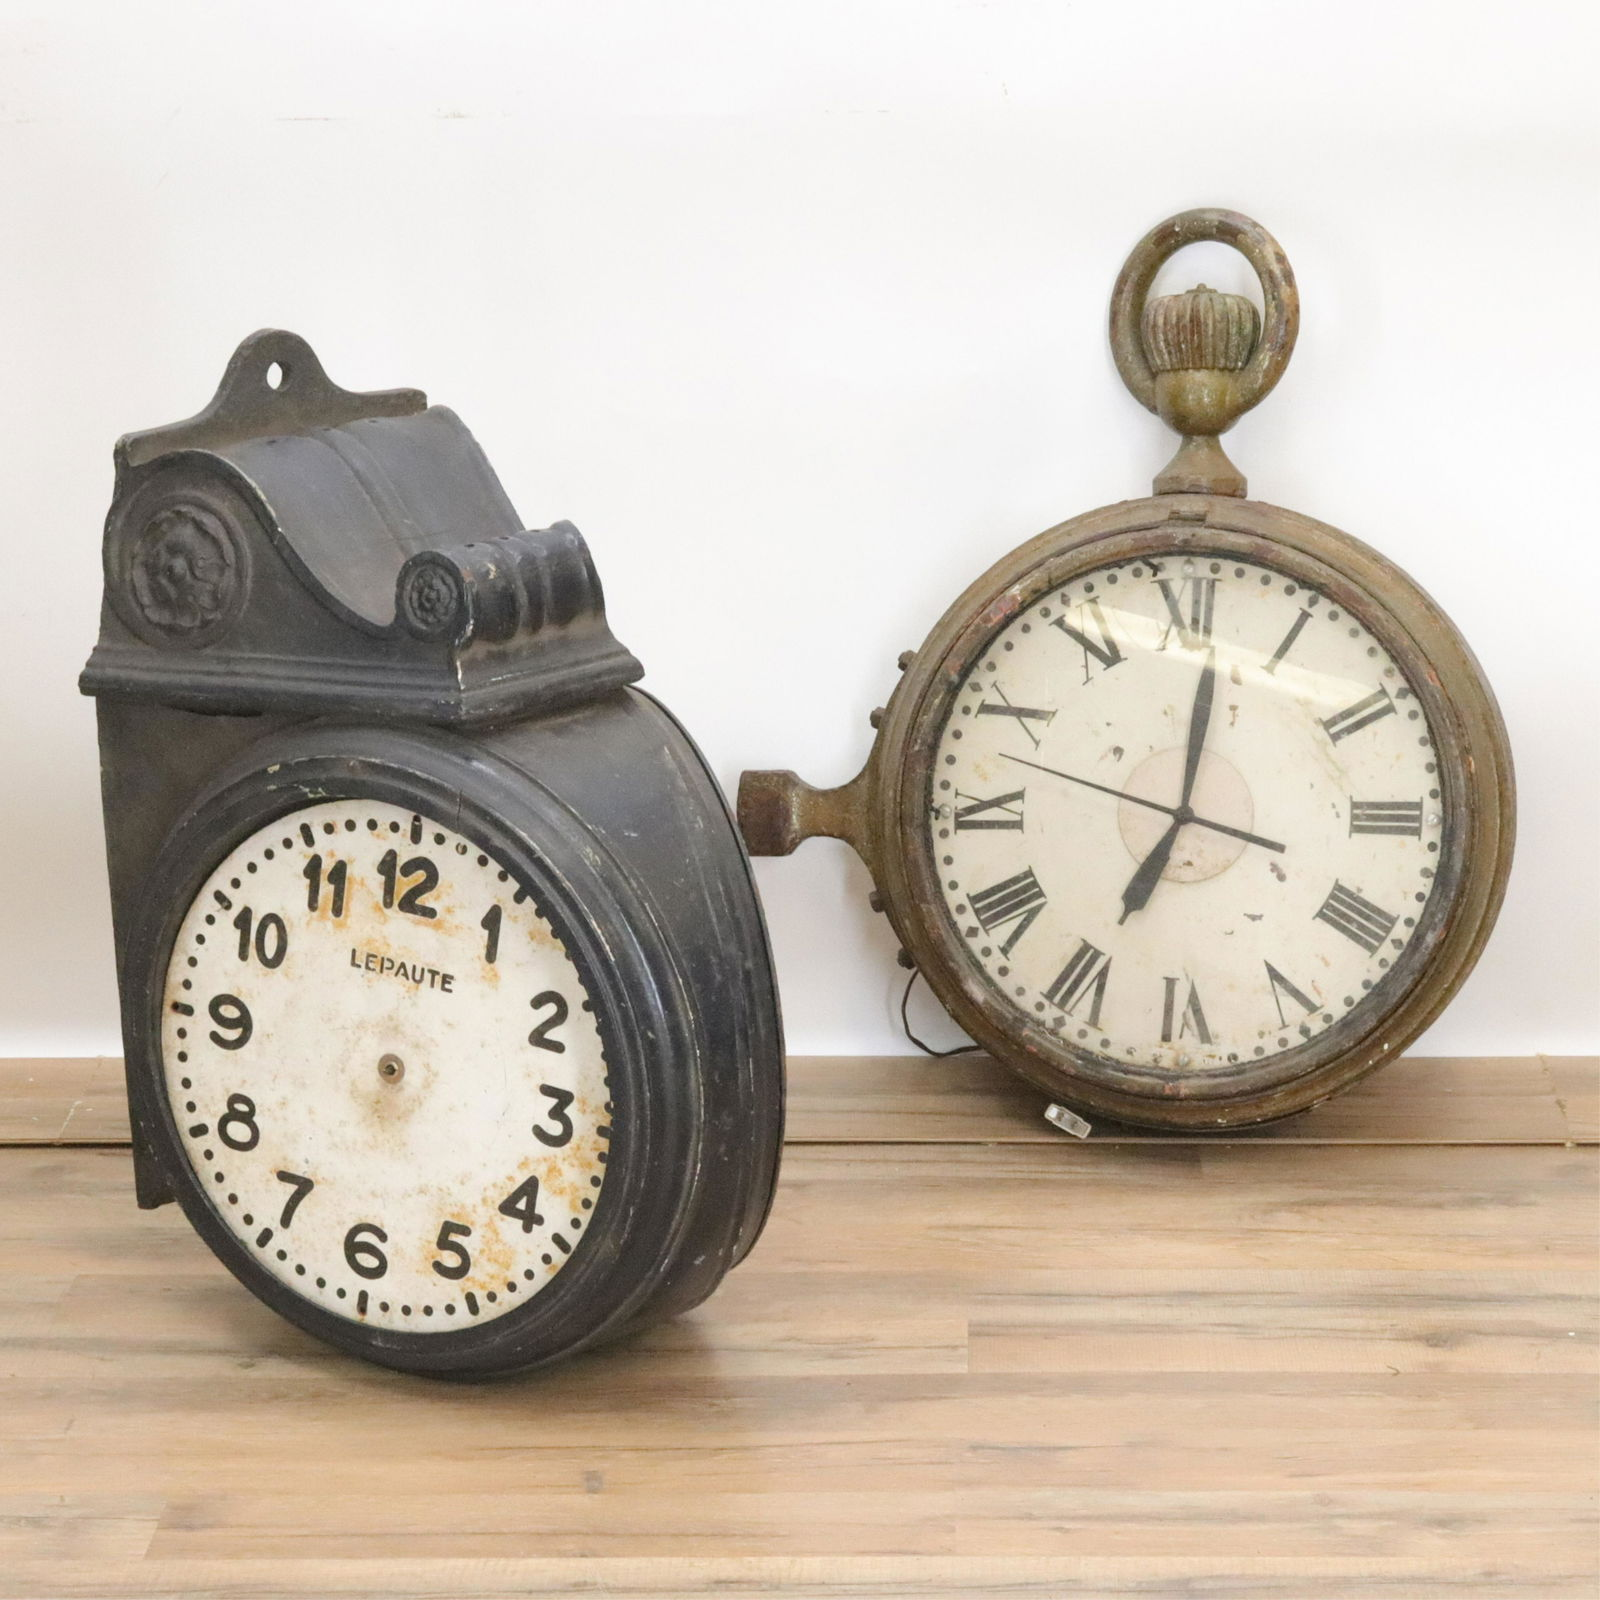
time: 7:01
